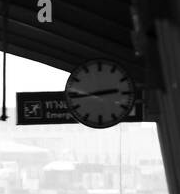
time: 2:43
